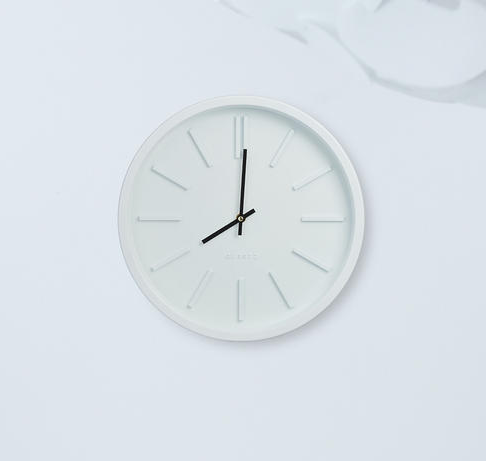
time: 8:00
